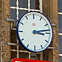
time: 3:13
